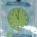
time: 11:00
